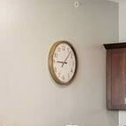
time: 9:07
